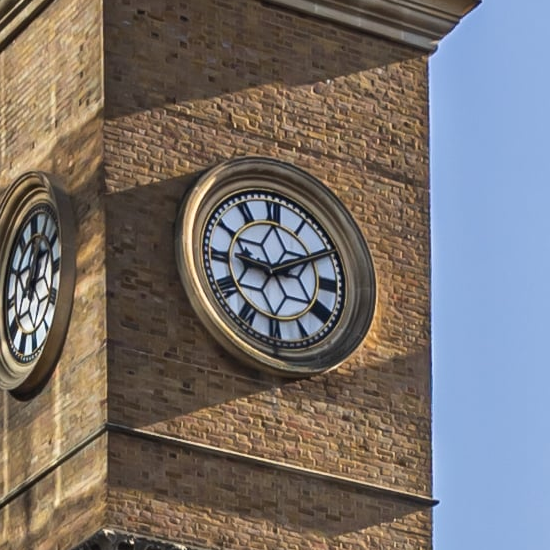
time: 9:10
